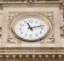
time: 11:12
